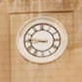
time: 8:46
